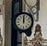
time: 12:00
